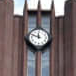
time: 11:48
